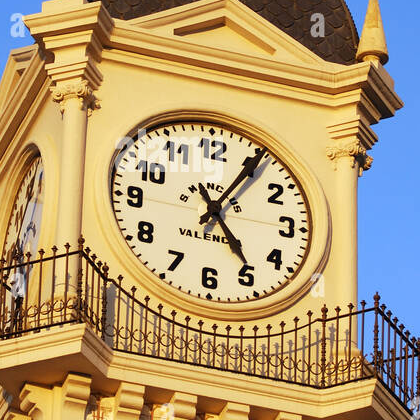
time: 5:05
